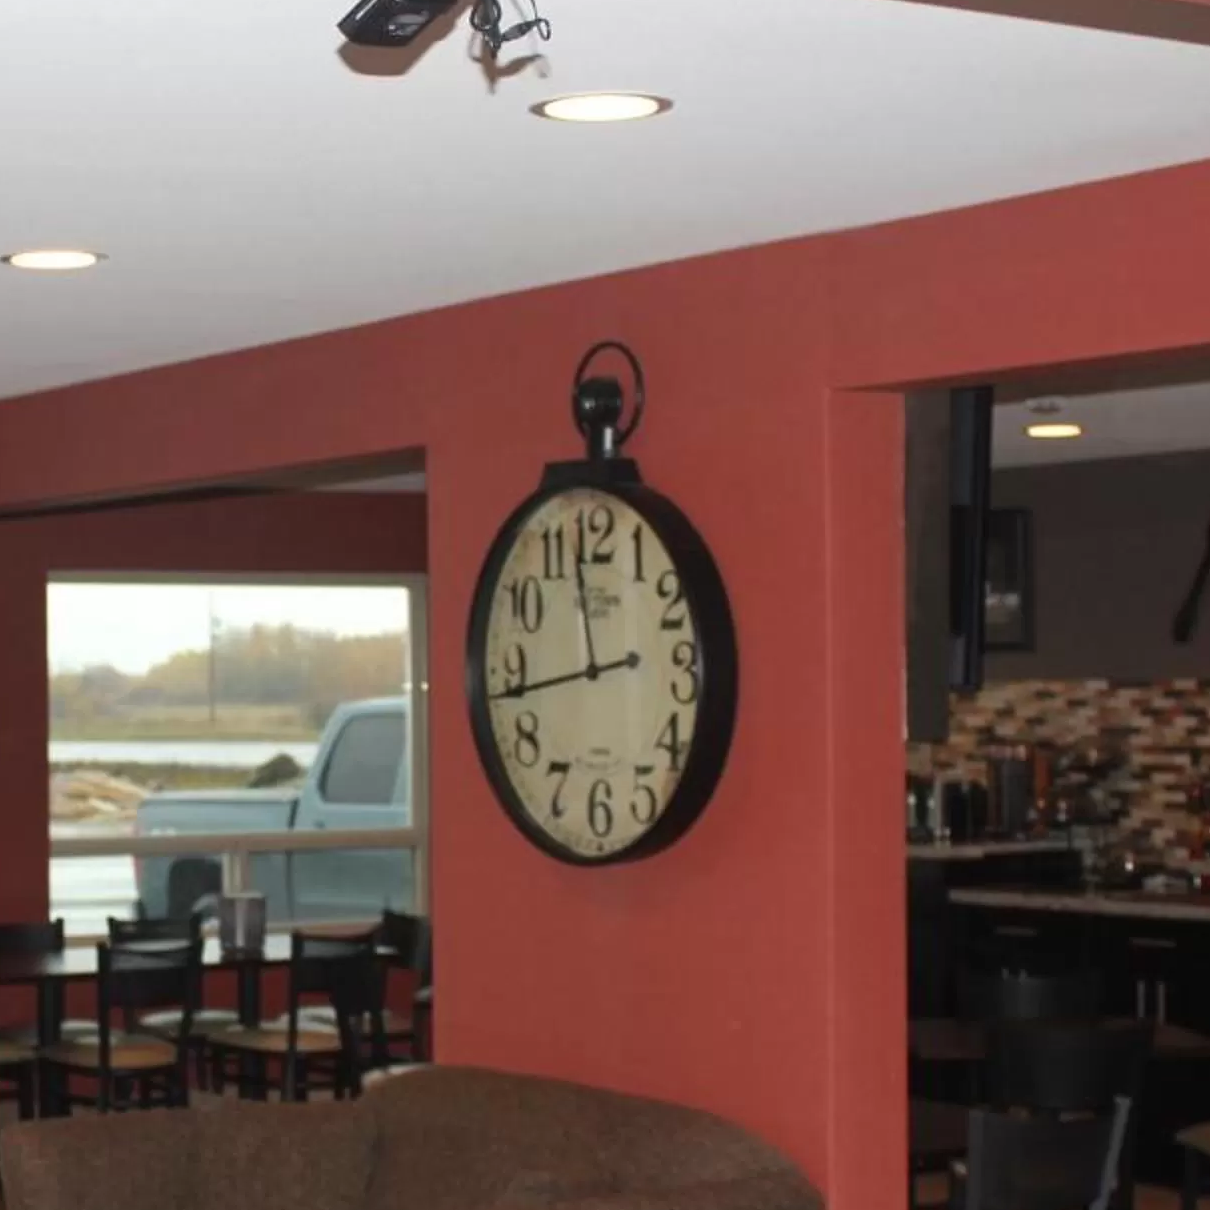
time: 11:43
